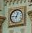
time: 12:46
